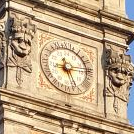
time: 5:13
